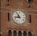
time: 8:54
